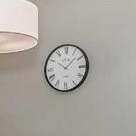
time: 10:07
